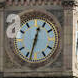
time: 12:32
